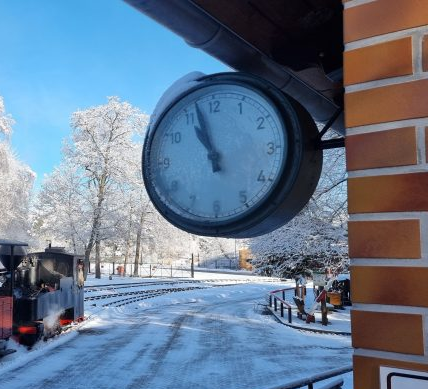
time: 10:57
